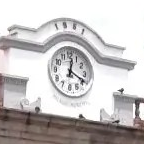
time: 12:19
